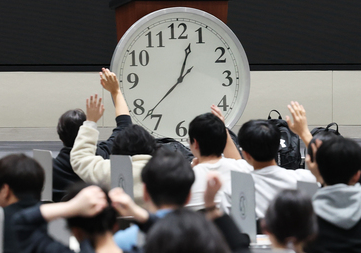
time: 12:37
